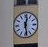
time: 12:28
